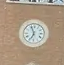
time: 6:56
